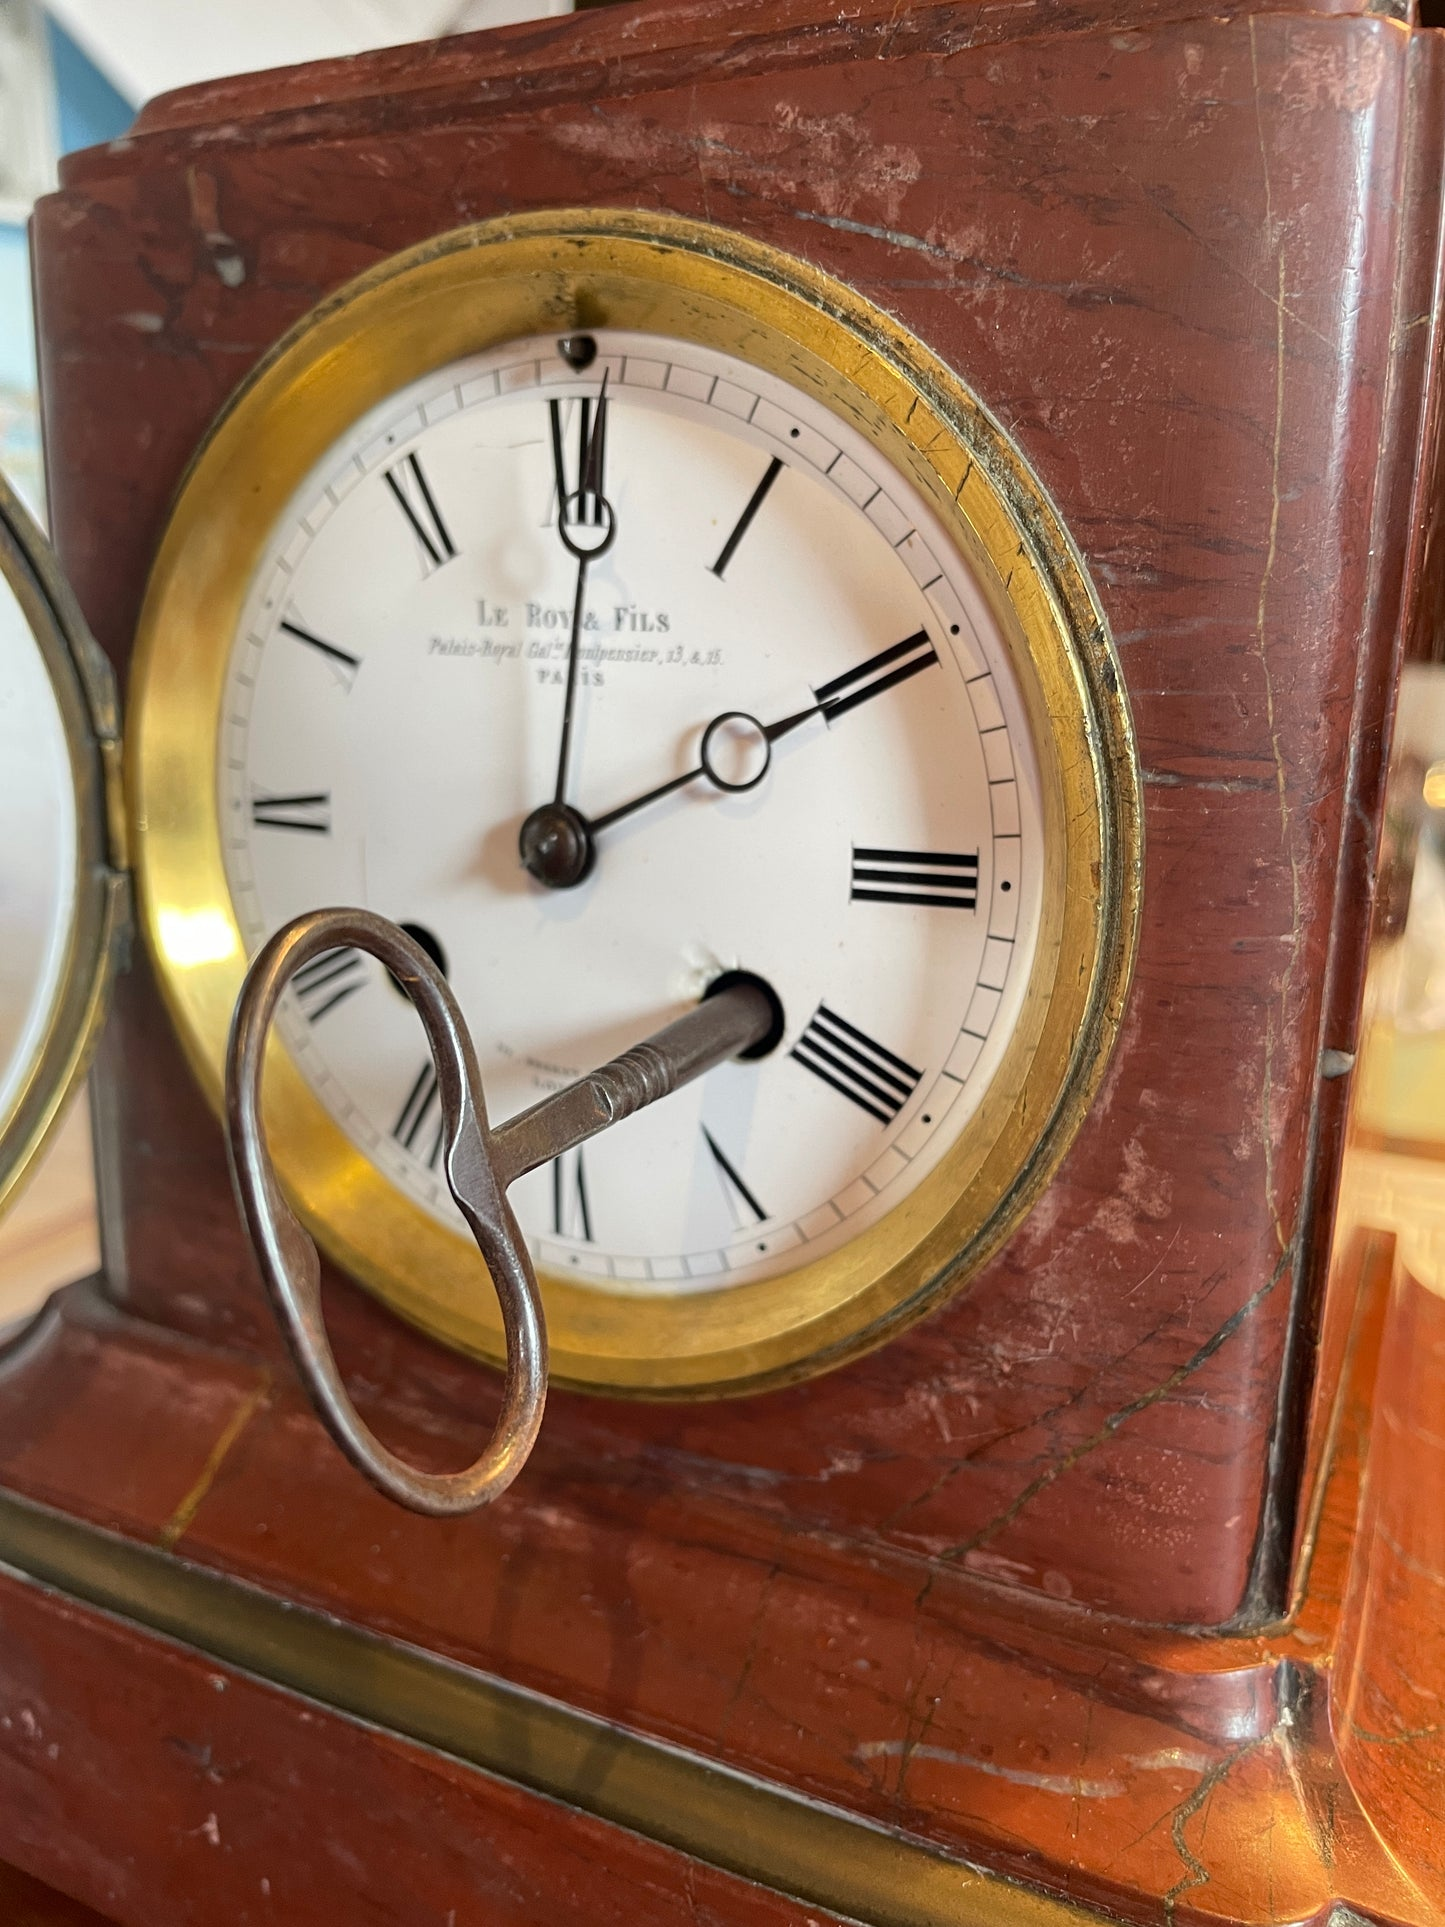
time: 2:00
